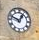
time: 12:48
